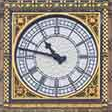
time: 10:47
